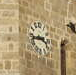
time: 3:43
